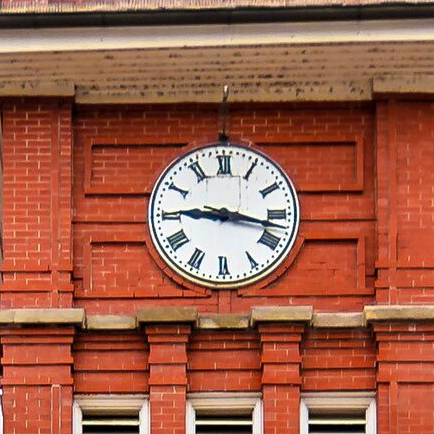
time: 9:17
